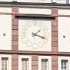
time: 1:18
